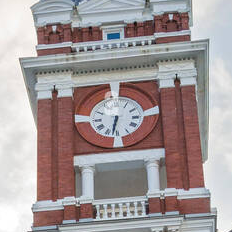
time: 6:32
